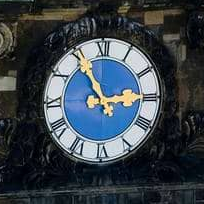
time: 2:55
